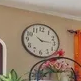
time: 10:15
